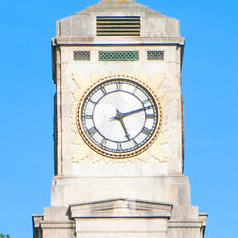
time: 5:12
